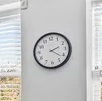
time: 2:21
